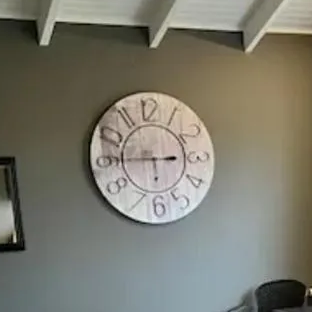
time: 2:45
